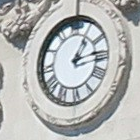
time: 1:13
